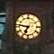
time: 6:46
